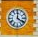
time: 4:01
